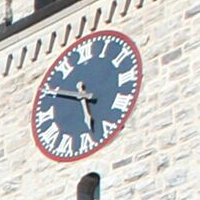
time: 5:49
